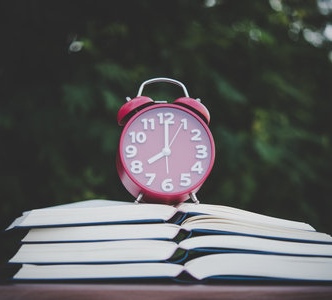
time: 8:00
